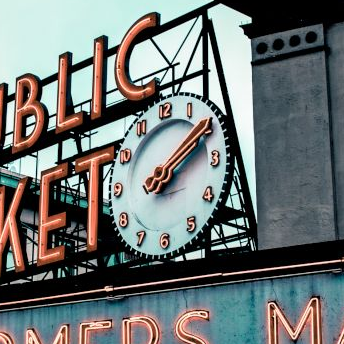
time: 2:09
